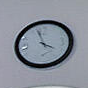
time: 3:56
